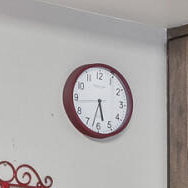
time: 5:32
